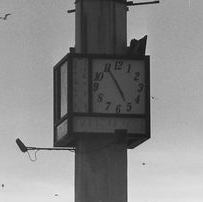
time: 4:54
